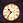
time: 10:36
